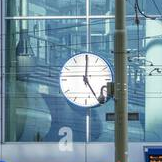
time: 5:00
